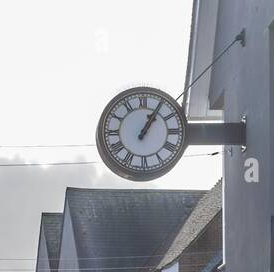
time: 1:05
